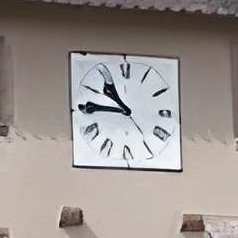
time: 10:45
